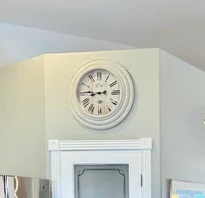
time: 8:45
